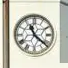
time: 11:21
